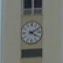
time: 4:10
